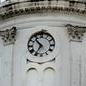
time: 10:35
